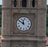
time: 11:50
